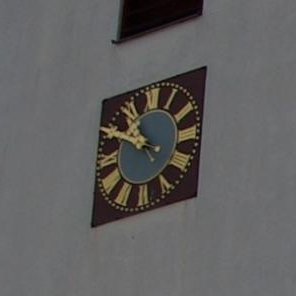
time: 10:49
